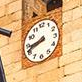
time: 8:41
